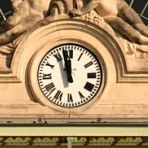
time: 11:57
